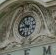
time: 8:52
